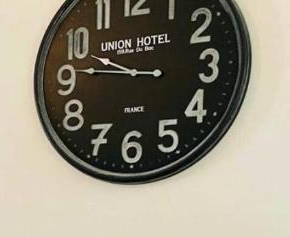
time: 9:45
